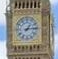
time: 1:13
